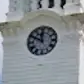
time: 11:49
